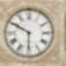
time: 5:49
